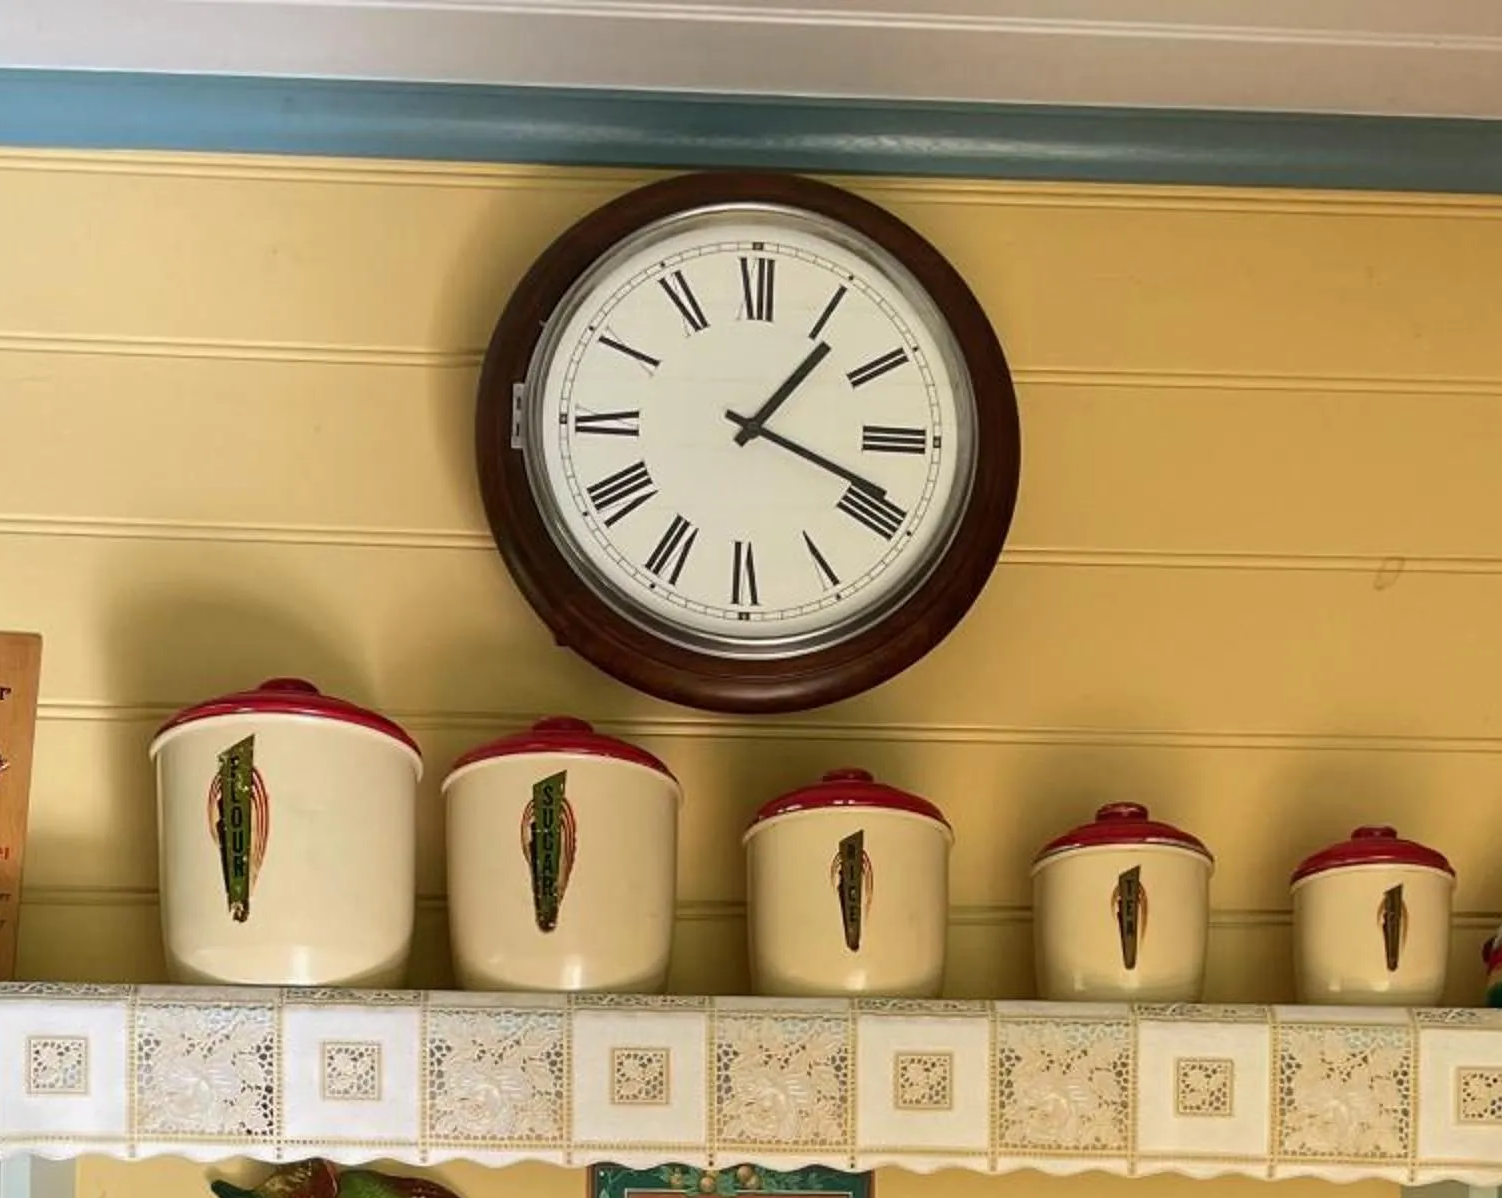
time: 1:18
